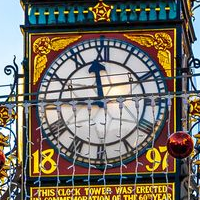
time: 11:45
